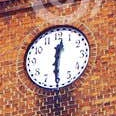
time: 12:30
